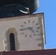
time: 4:44
